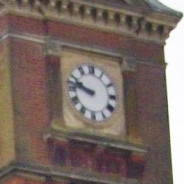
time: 9:47
